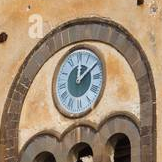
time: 12:09
